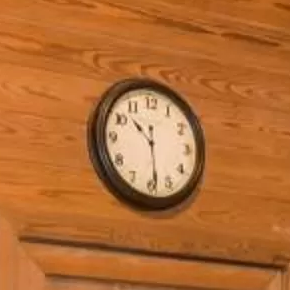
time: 10:28
